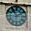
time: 11:10
